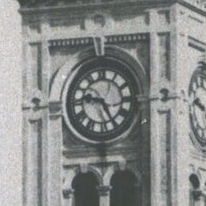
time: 9:25
